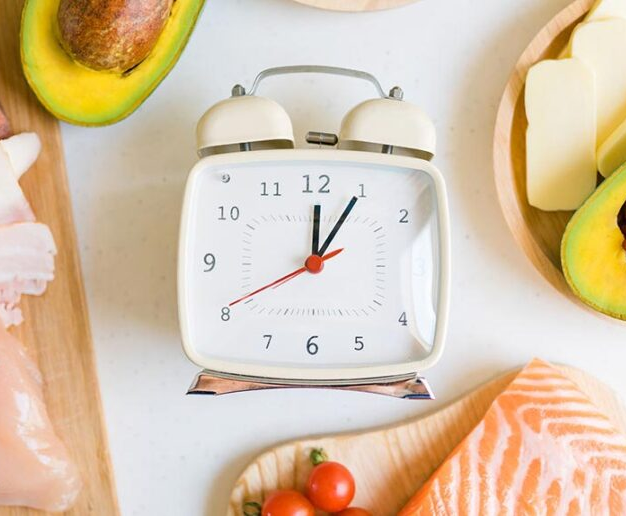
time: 12:05
